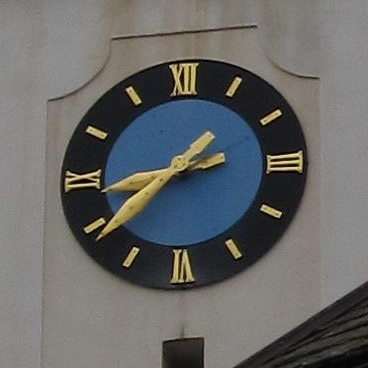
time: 8:38
